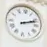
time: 2:11
